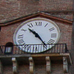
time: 10:24
